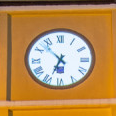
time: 6:52
